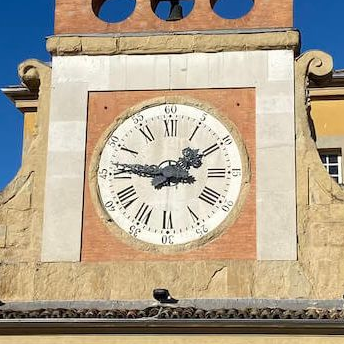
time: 1:46
